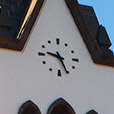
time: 9:25
